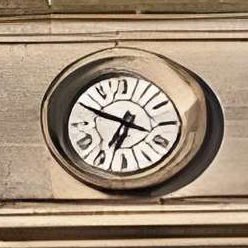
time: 6:49
